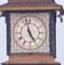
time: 4:57
